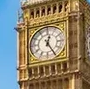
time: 12:24
